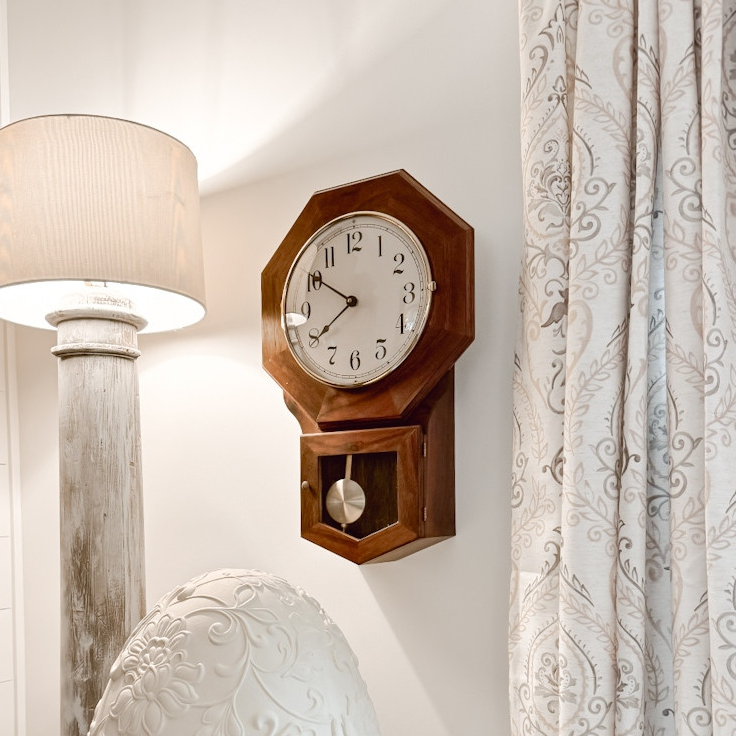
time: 7:50
